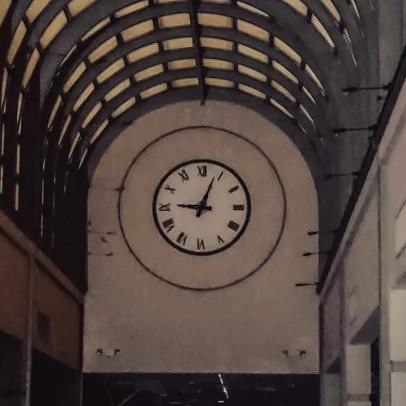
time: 9:03
